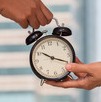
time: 10:19
